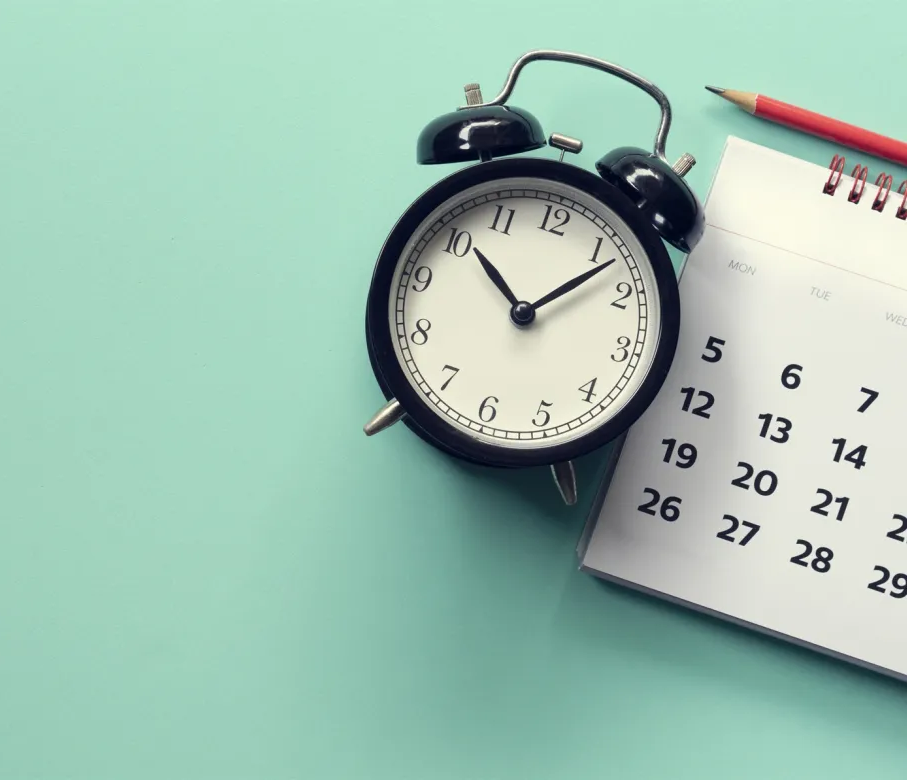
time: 10:07
